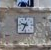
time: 9:34
